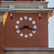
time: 8:18
